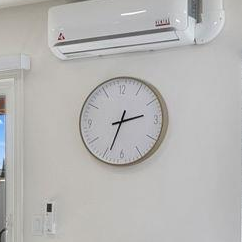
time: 2:33
